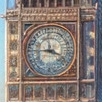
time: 3:45
